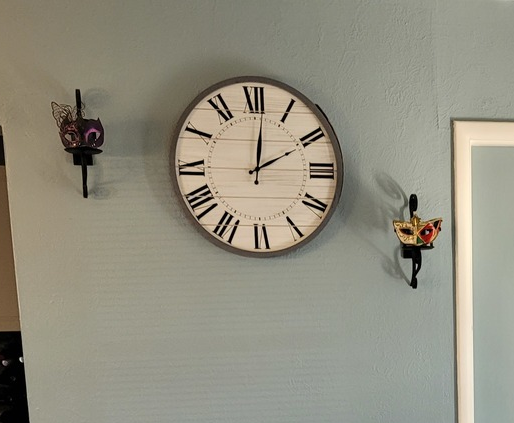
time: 2:01
